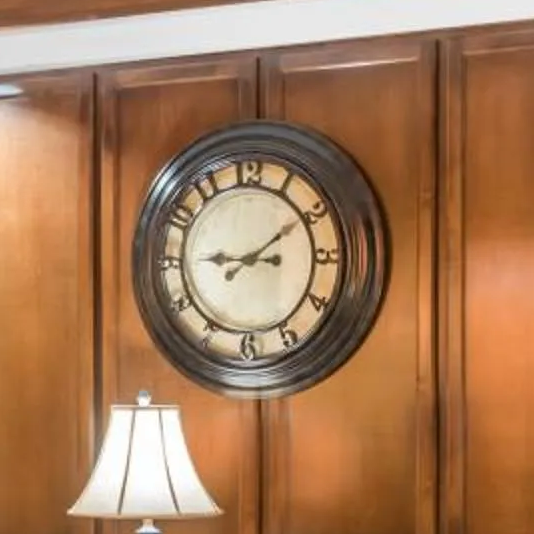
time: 9:09
